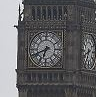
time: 6:41
